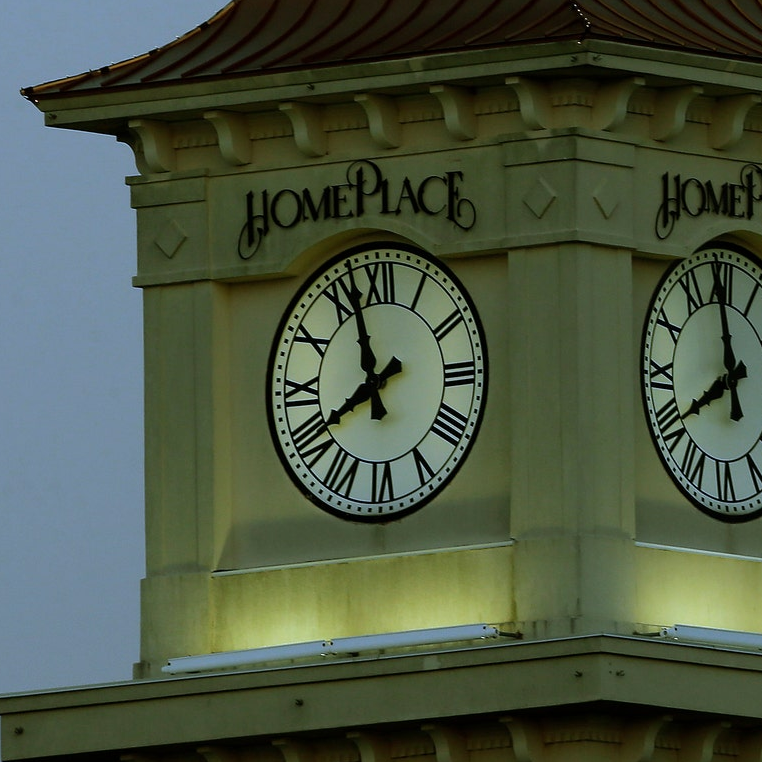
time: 7:57
